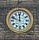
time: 11:48
